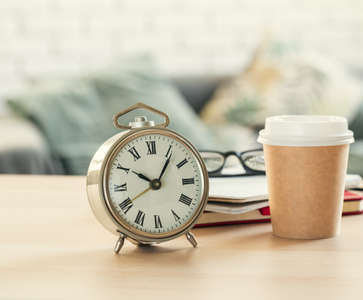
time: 10:05
